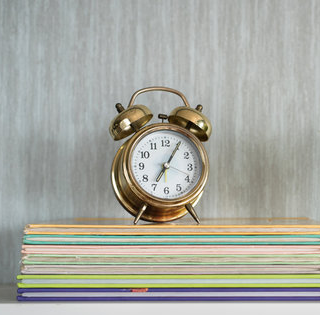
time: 7:05
